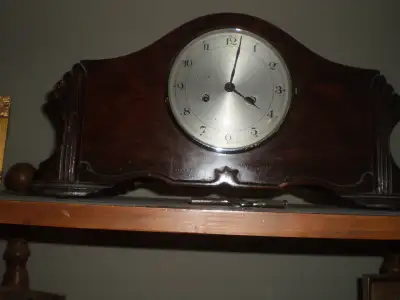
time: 4:02
